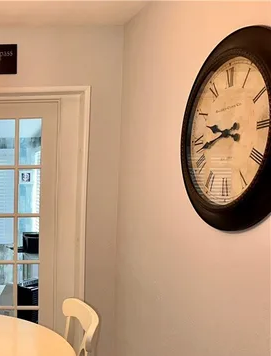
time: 9:42
